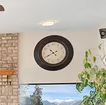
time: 10:40
